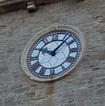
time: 10:07
